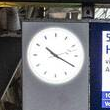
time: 10:20
